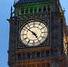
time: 4:51
